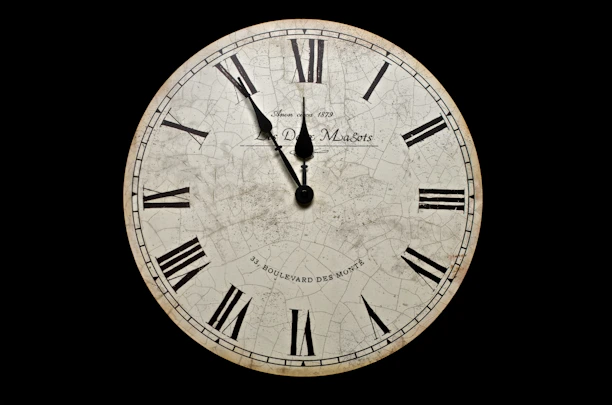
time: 11:54
